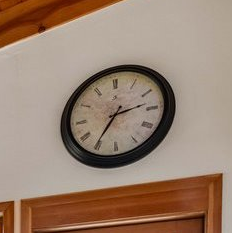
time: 2:35
